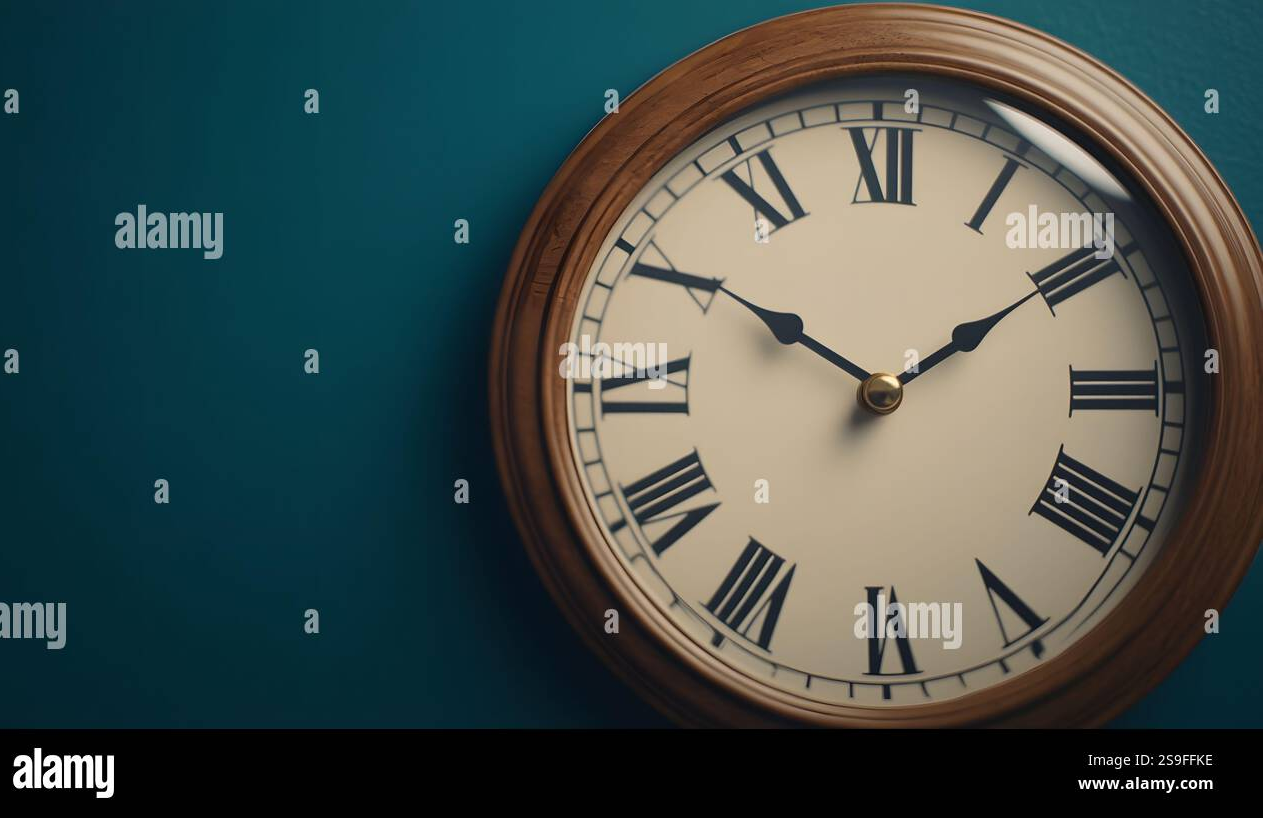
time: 1:50
